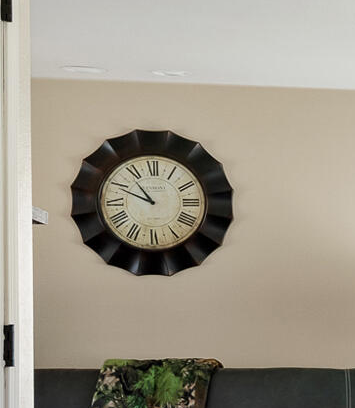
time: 10:49
